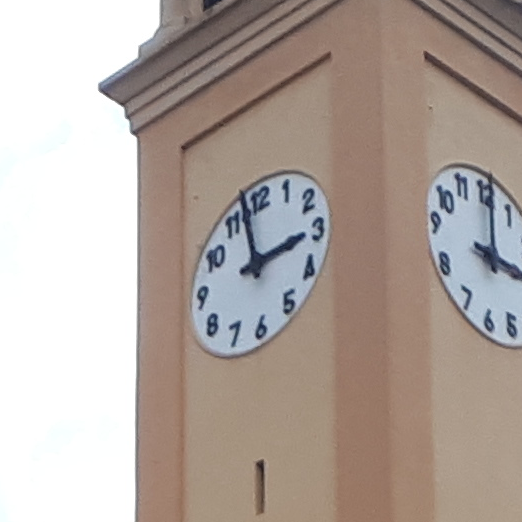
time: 2:57
